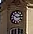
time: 2:50
